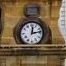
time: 12:13
